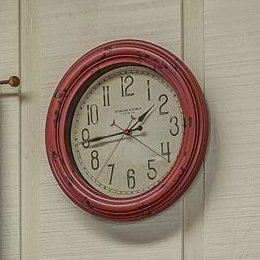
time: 1:44
